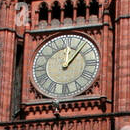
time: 12:07
